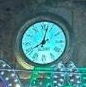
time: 8:02
